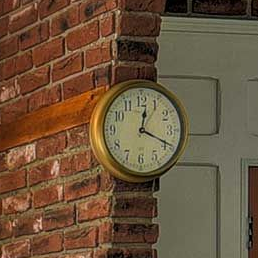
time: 12:19
